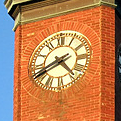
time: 4:40
